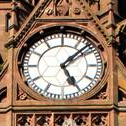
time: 5:07
